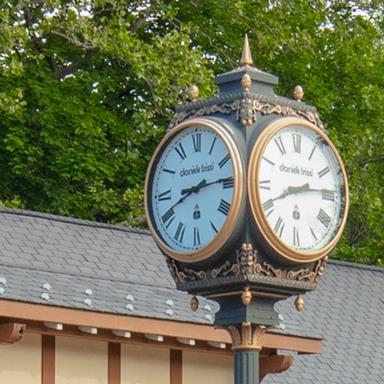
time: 8:14
